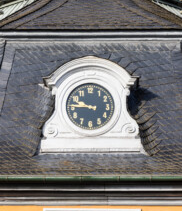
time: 9:45
